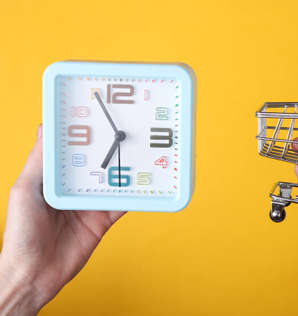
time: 6:54
